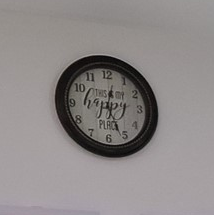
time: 12:26
